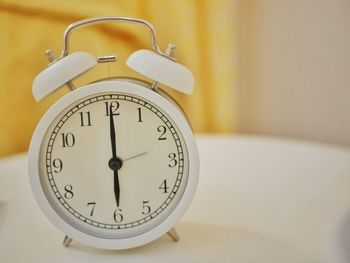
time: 5:59
